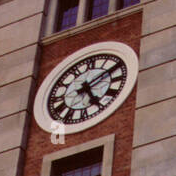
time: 5:10
